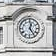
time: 12:23
